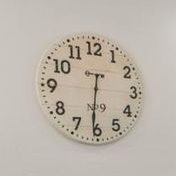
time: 6:31
